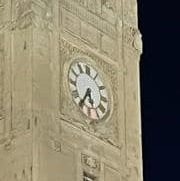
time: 5:35
